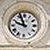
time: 9:56
